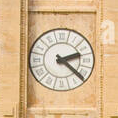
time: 2:22
